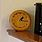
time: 1:16
